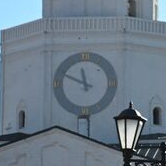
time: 11:48
